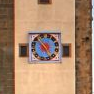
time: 4:52
